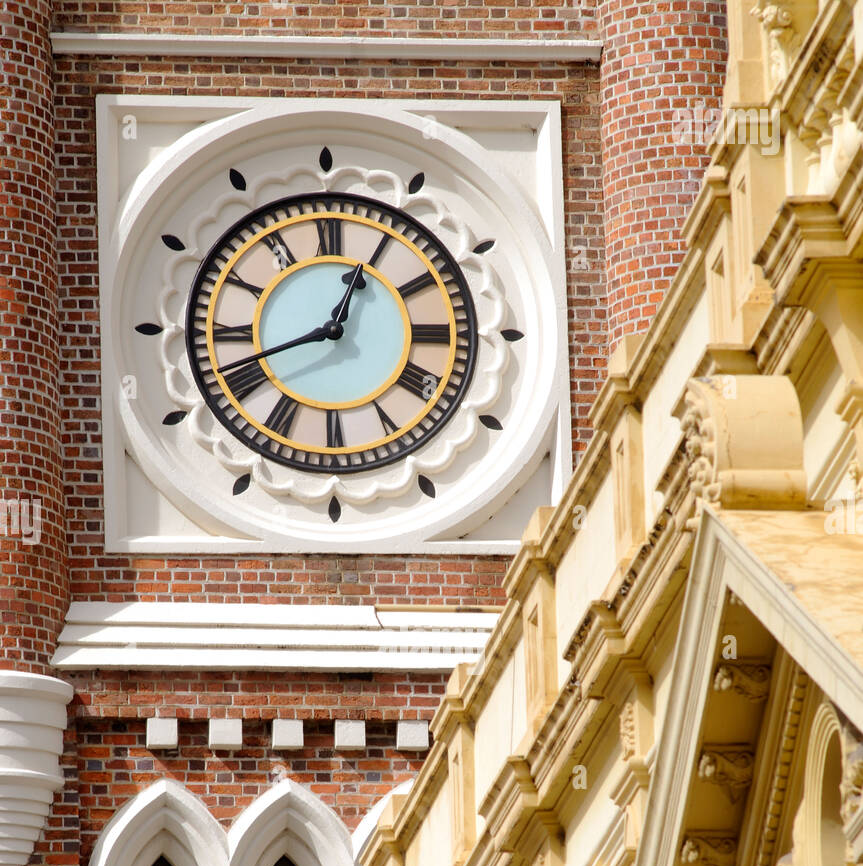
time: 12:41
